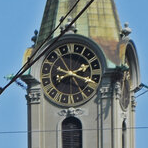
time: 2:17
